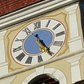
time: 11:25
